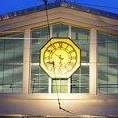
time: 5:51
